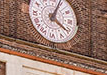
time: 4:04
